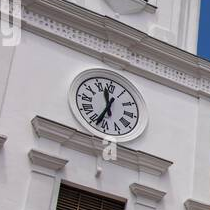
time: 11:33
